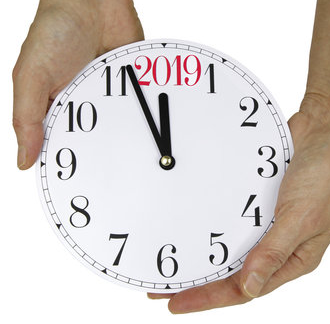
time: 11:56
